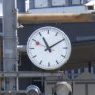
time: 11:09
